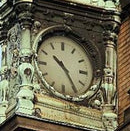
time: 10:24
